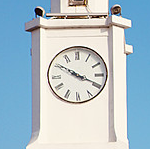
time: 3:50
